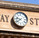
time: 9:39
